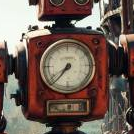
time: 7:37
